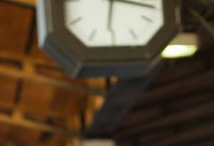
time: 6:16
